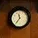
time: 11:36
